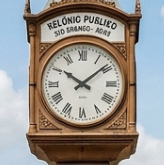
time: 10:08
